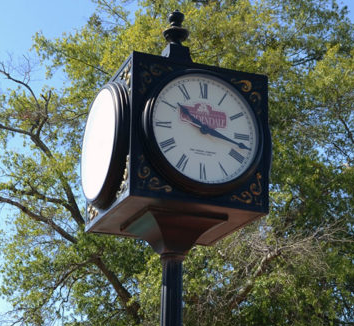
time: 10:17
